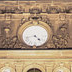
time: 4:42
